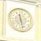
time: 11:28
